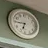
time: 6:45
